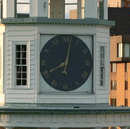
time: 8:02
